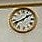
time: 8:08
